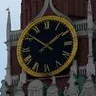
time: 1:51
